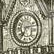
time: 7:12
